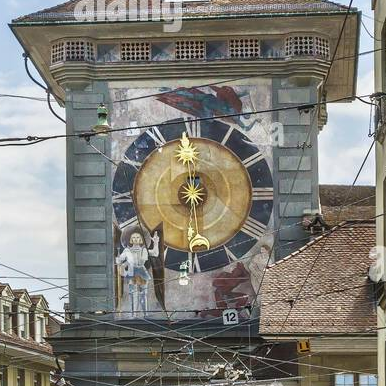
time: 11:59
